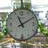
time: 11:09
